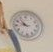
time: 10:48
